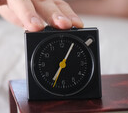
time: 7:04
